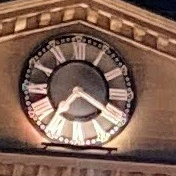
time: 7:20
